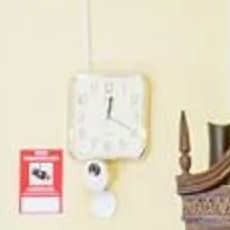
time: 12:19
